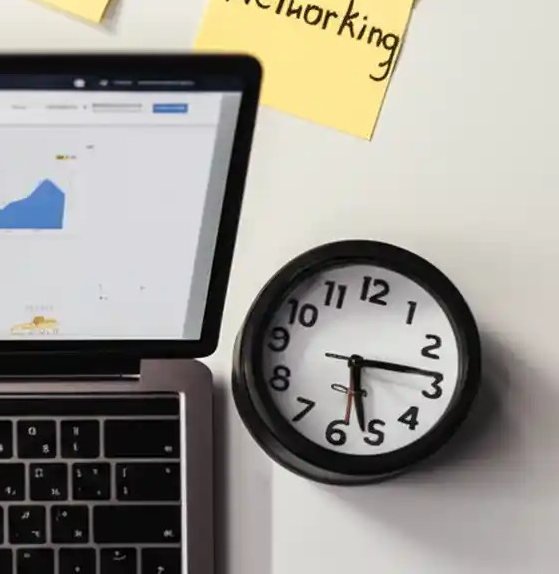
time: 5:13
